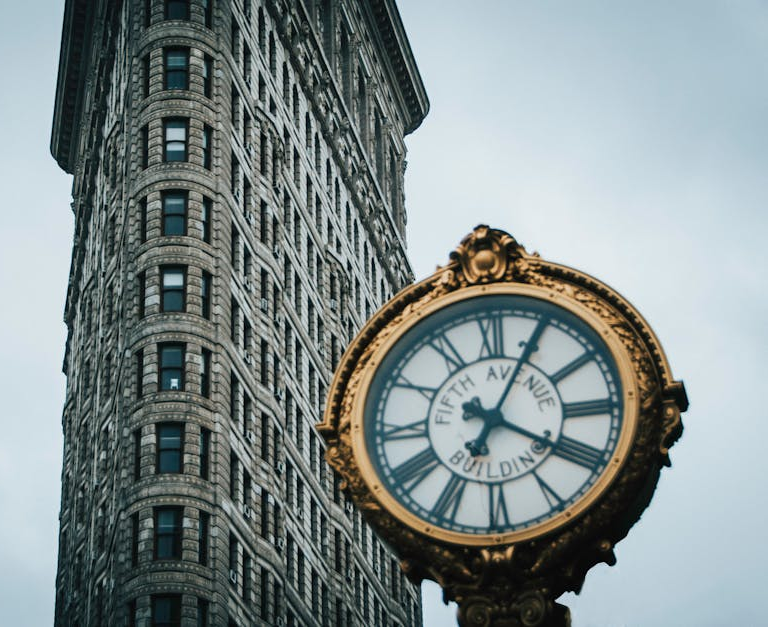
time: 4:04
